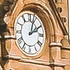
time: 2:03
